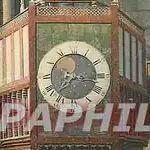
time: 7:17
